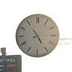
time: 4:54
